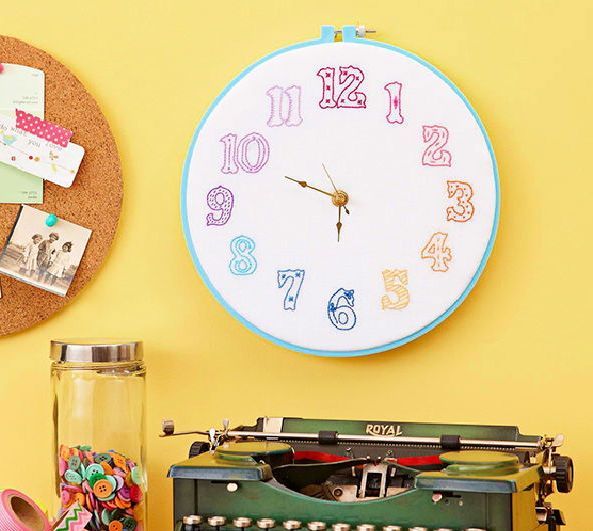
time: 9:48
